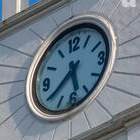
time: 5:38
